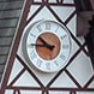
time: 10:45
